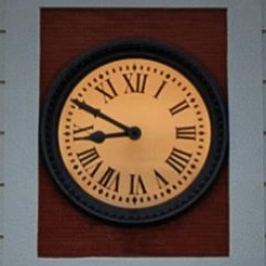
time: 8:49
